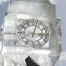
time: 3:02
